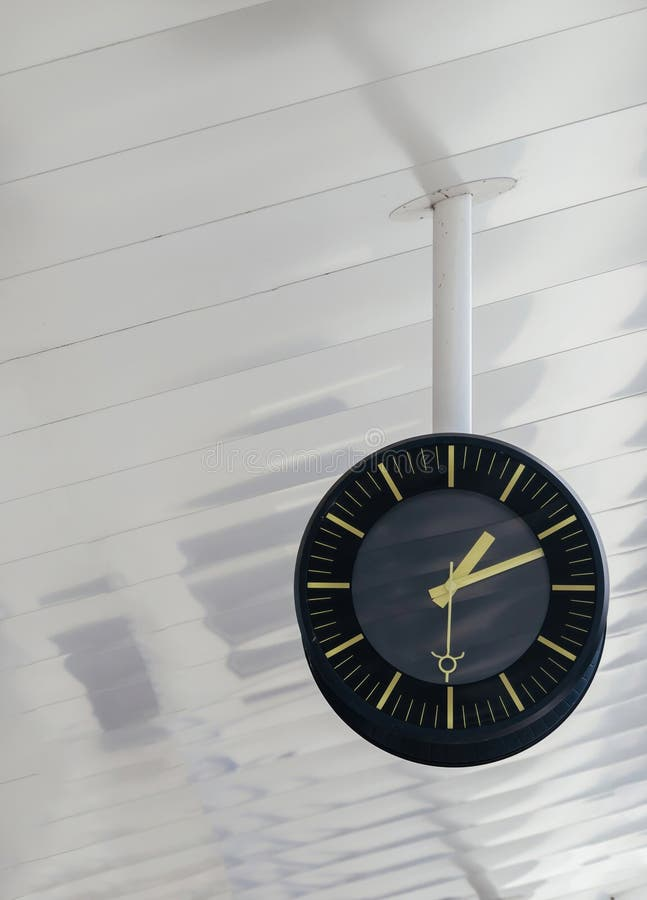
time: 1:11
